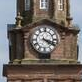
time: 4:17
